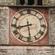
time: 8:28
